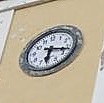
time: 6:17
